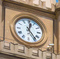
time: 12:23
